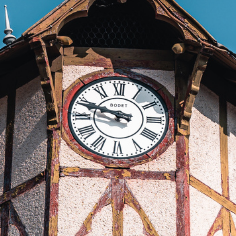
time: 9:48
